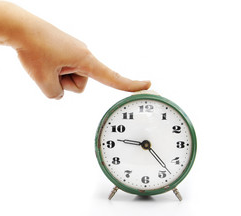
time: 9:23
